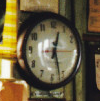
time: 12:26
